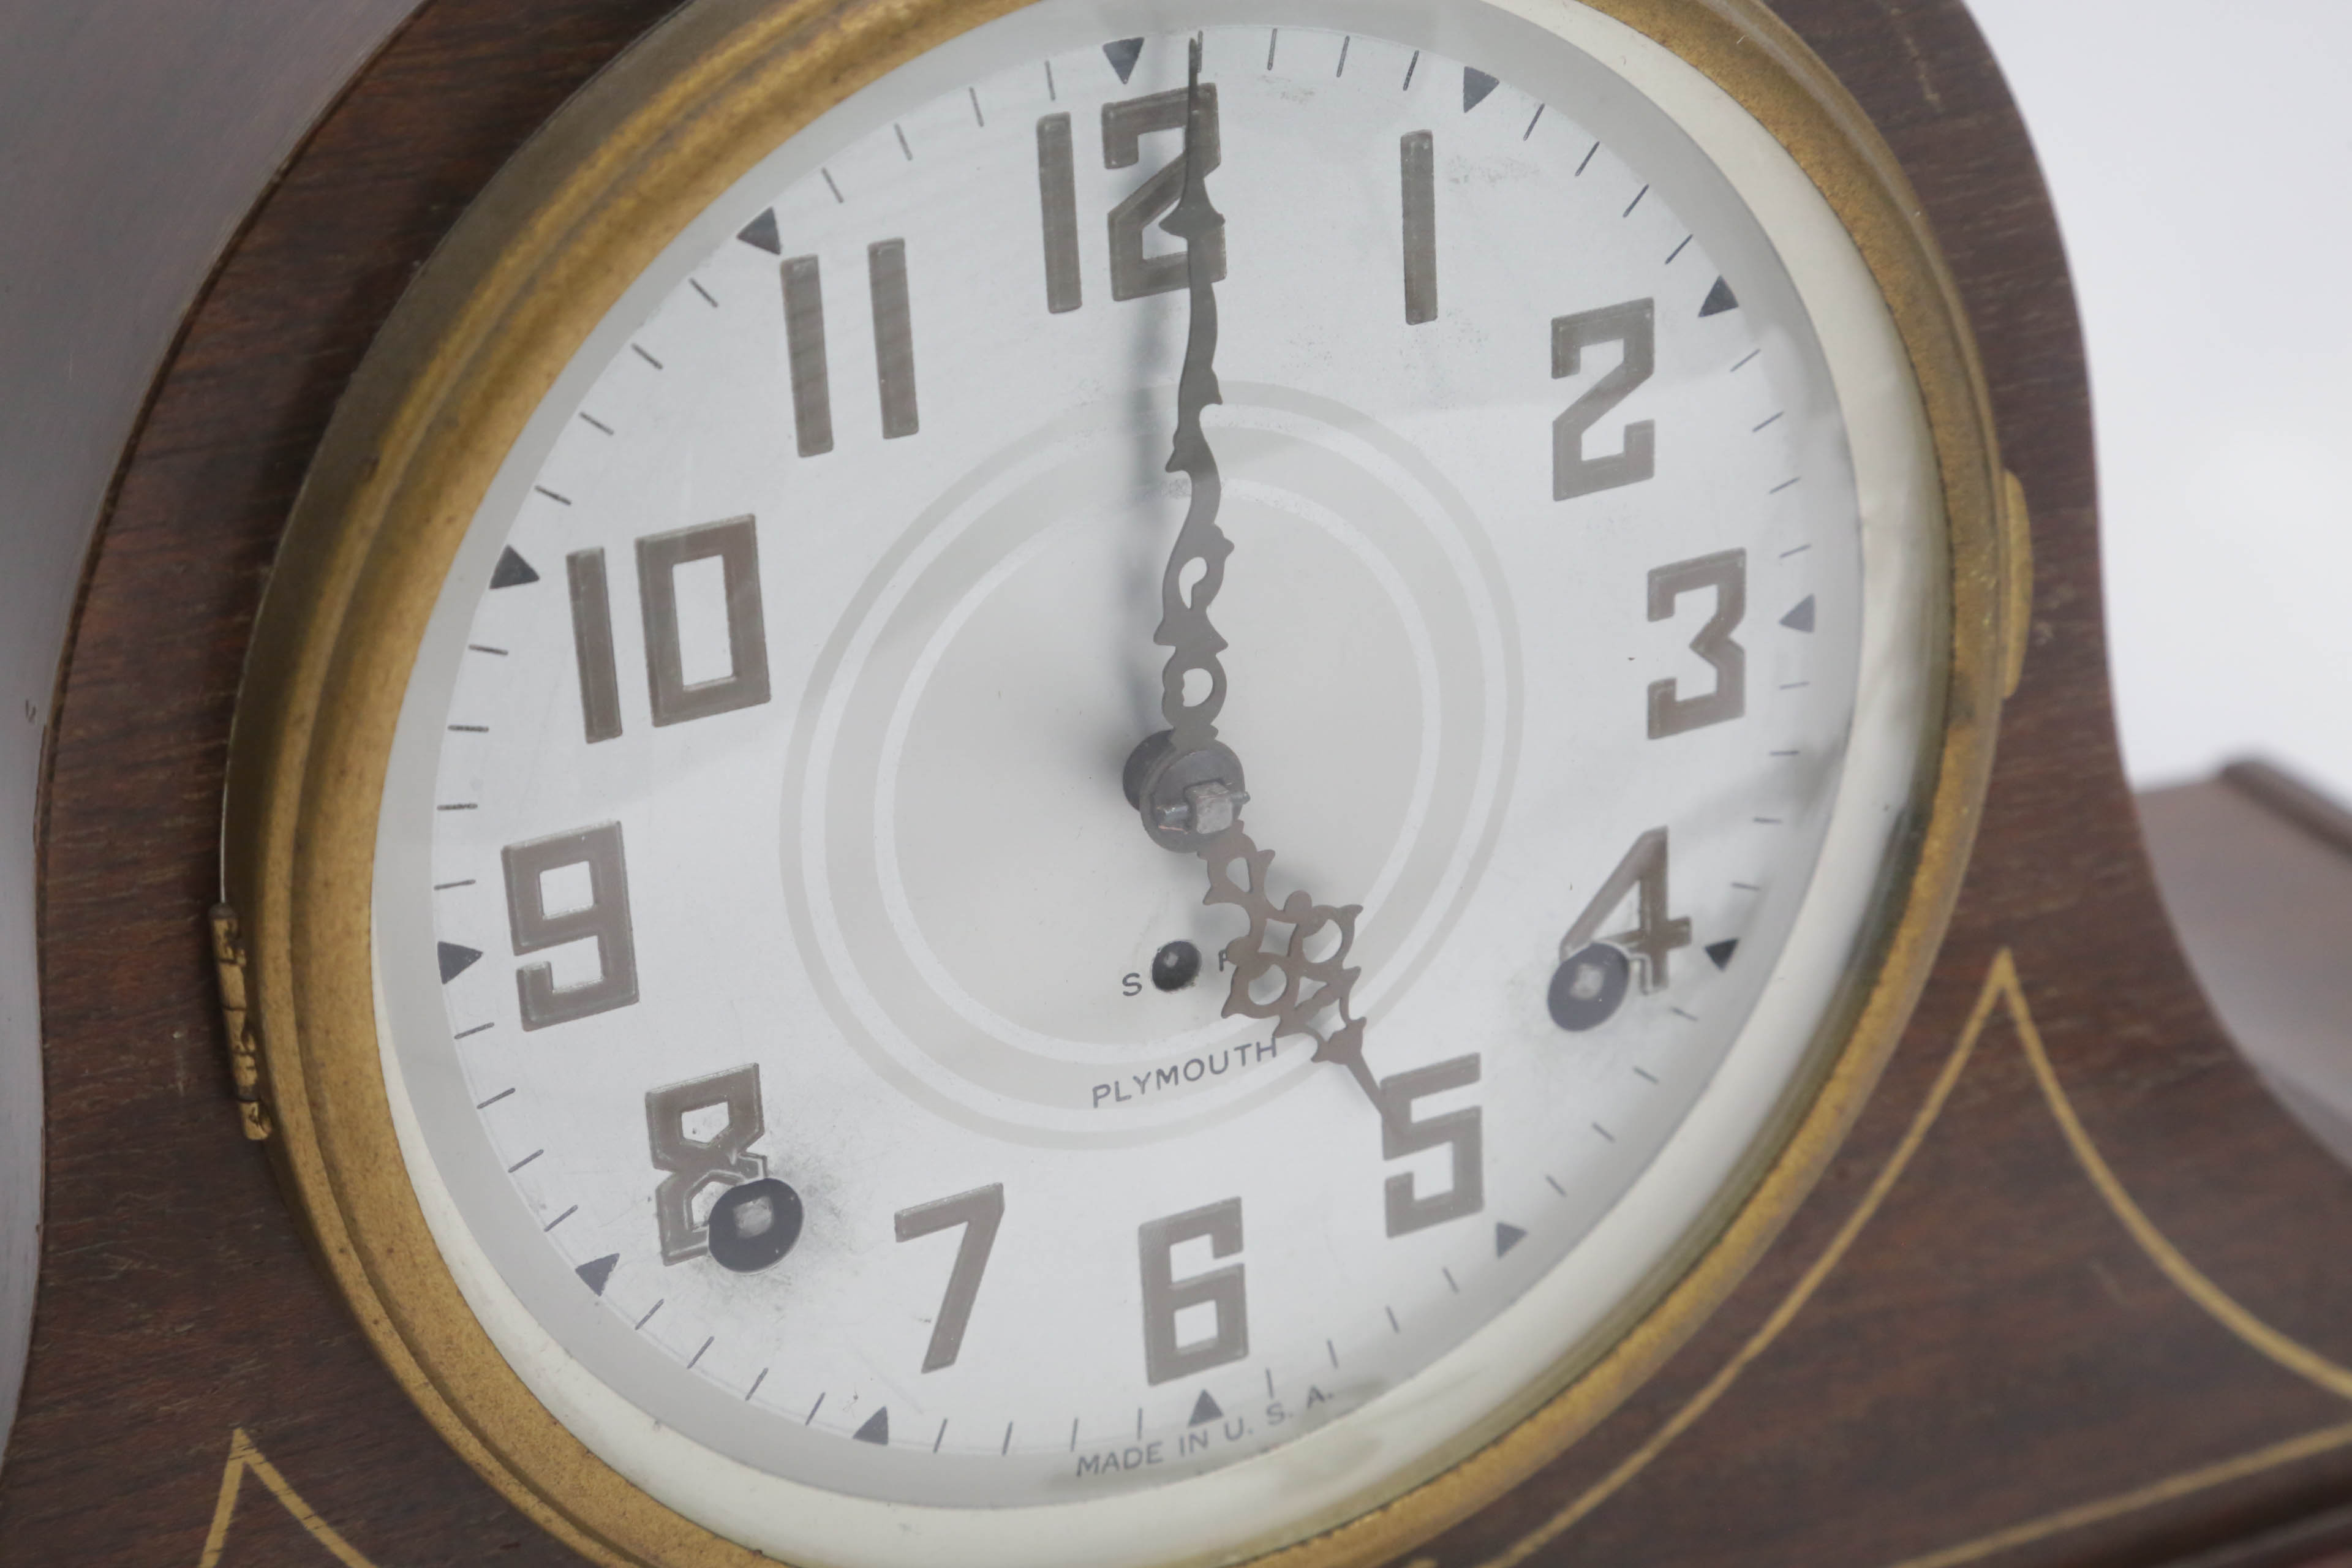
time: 5:01
